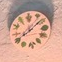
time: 8:08
